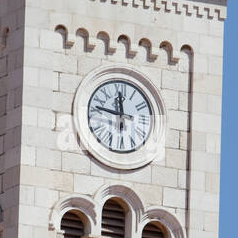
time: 11:46
